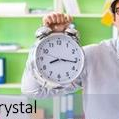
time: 8:16
